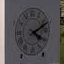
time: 4:10
